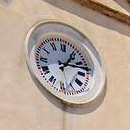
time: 1:12
